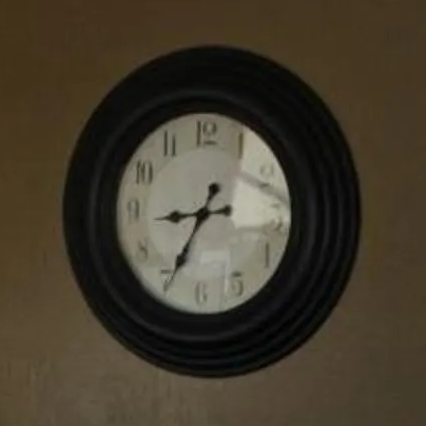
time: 8:34
